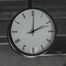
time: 2:00
